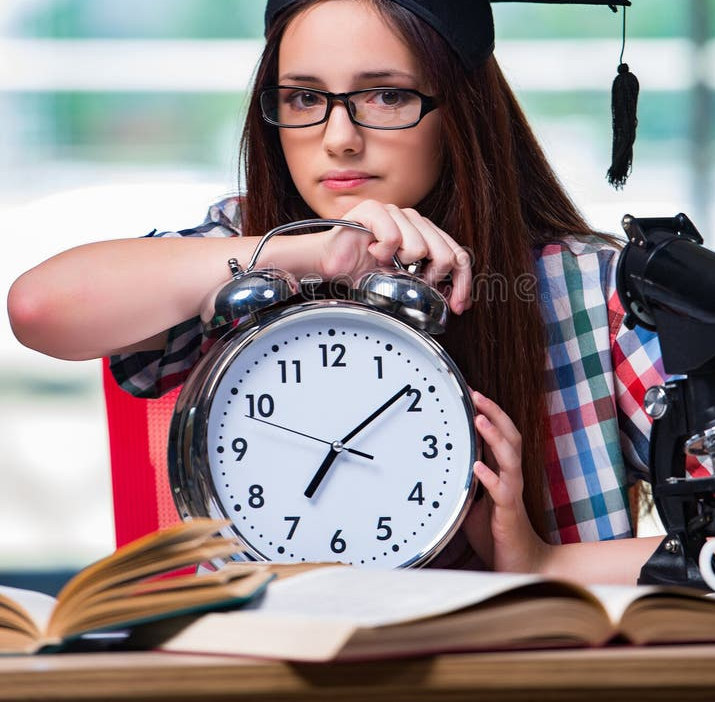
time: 7:08
